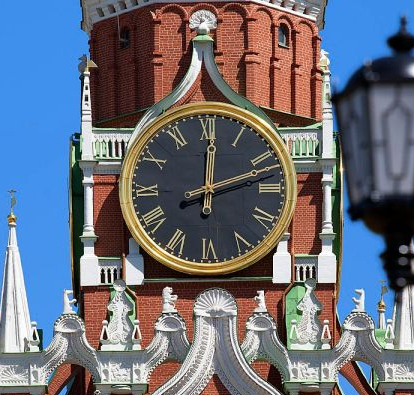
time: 12:11
